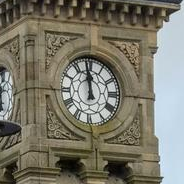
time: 11:58
